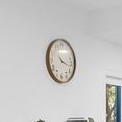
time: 10:17
